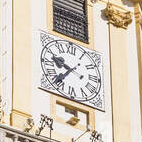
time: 9:36
